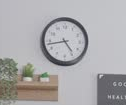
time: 4:43
